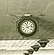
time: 11:12
